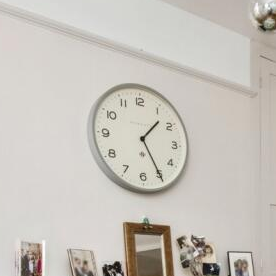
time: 1:24
